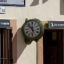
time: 11:52
